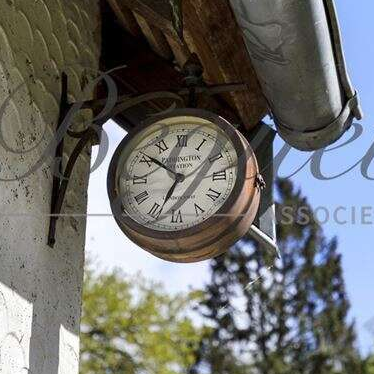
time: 6:51
